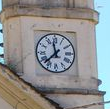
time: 11:37
